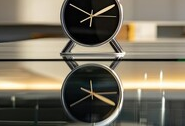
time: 3:40
